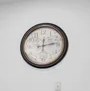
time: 12:13
